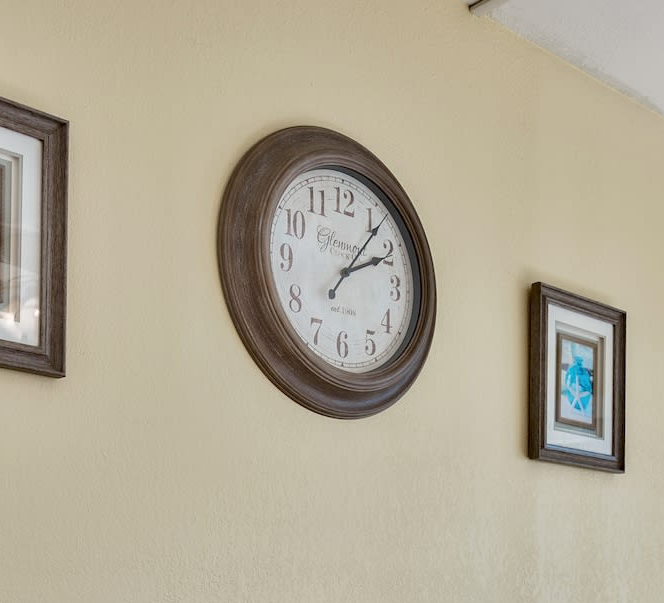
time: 2:06
